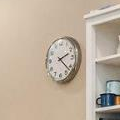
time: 2:21
